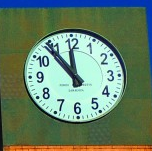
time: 11:53
